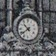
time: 10:39
